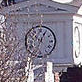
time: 12:52
